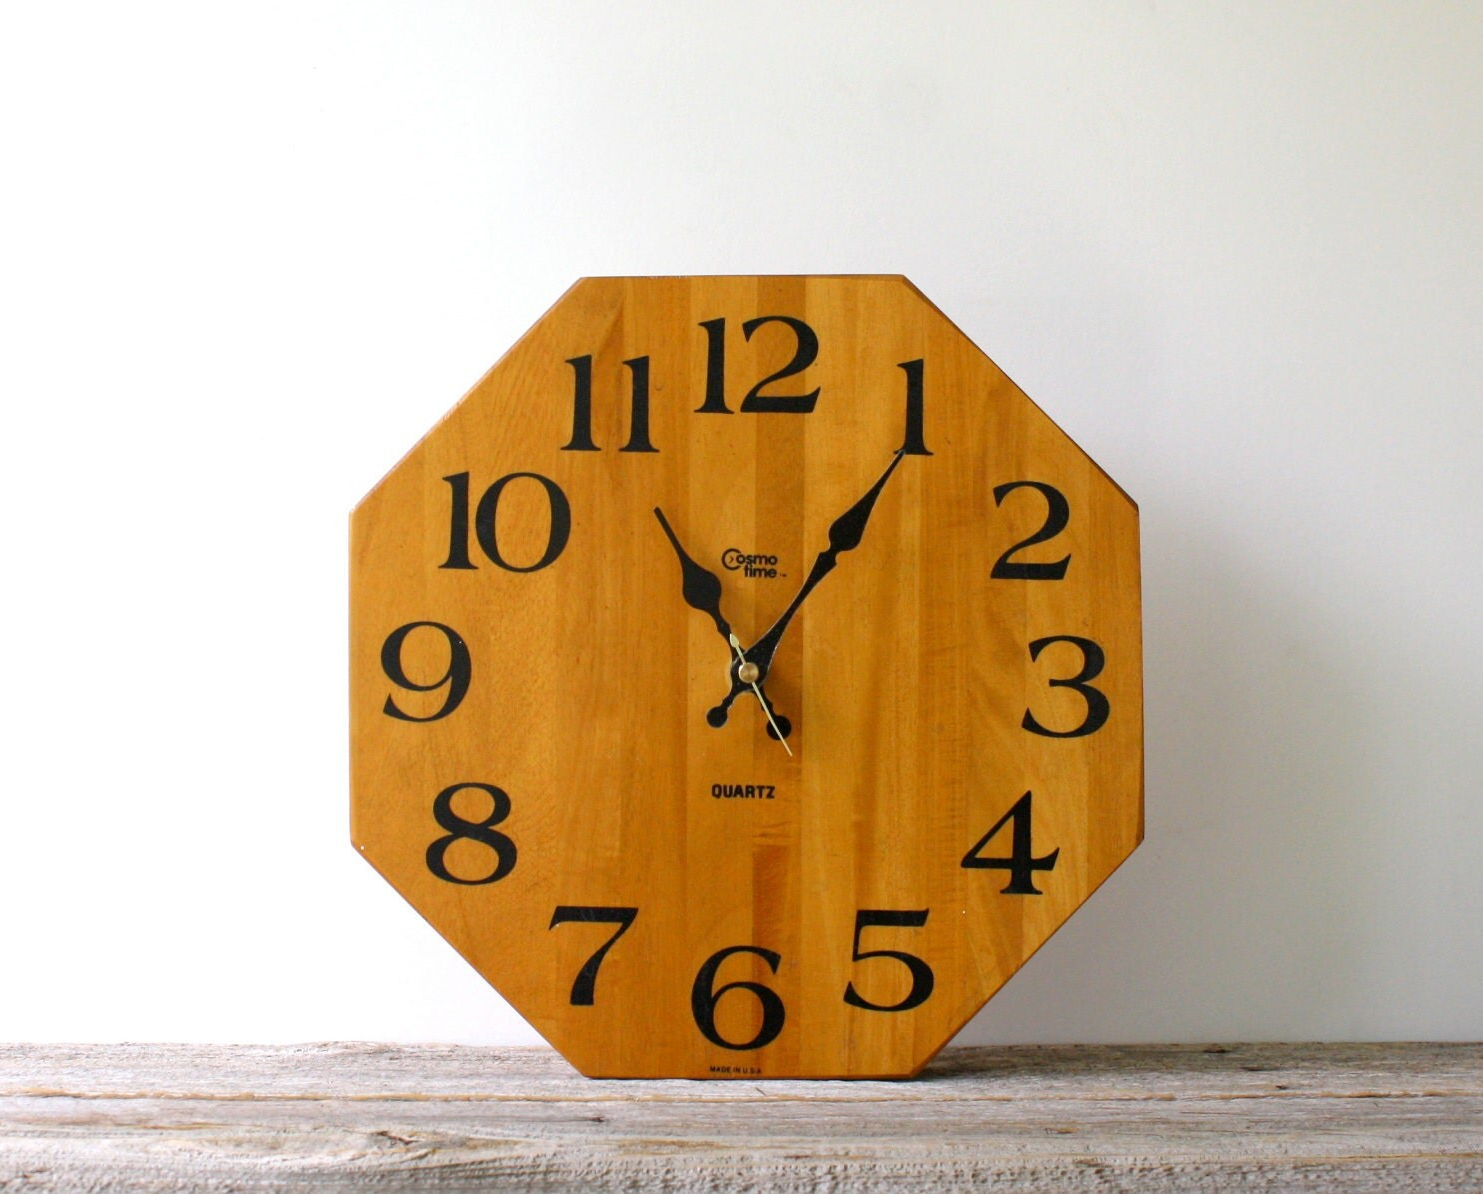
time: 11:05
